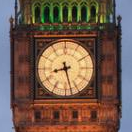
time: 8:27
